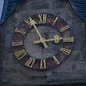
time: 2:56
